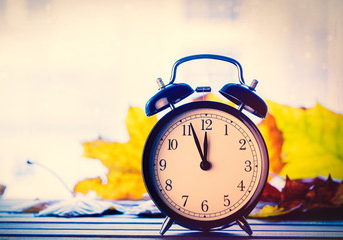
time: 11:56
